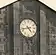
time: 4:42
